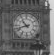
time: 10:42
